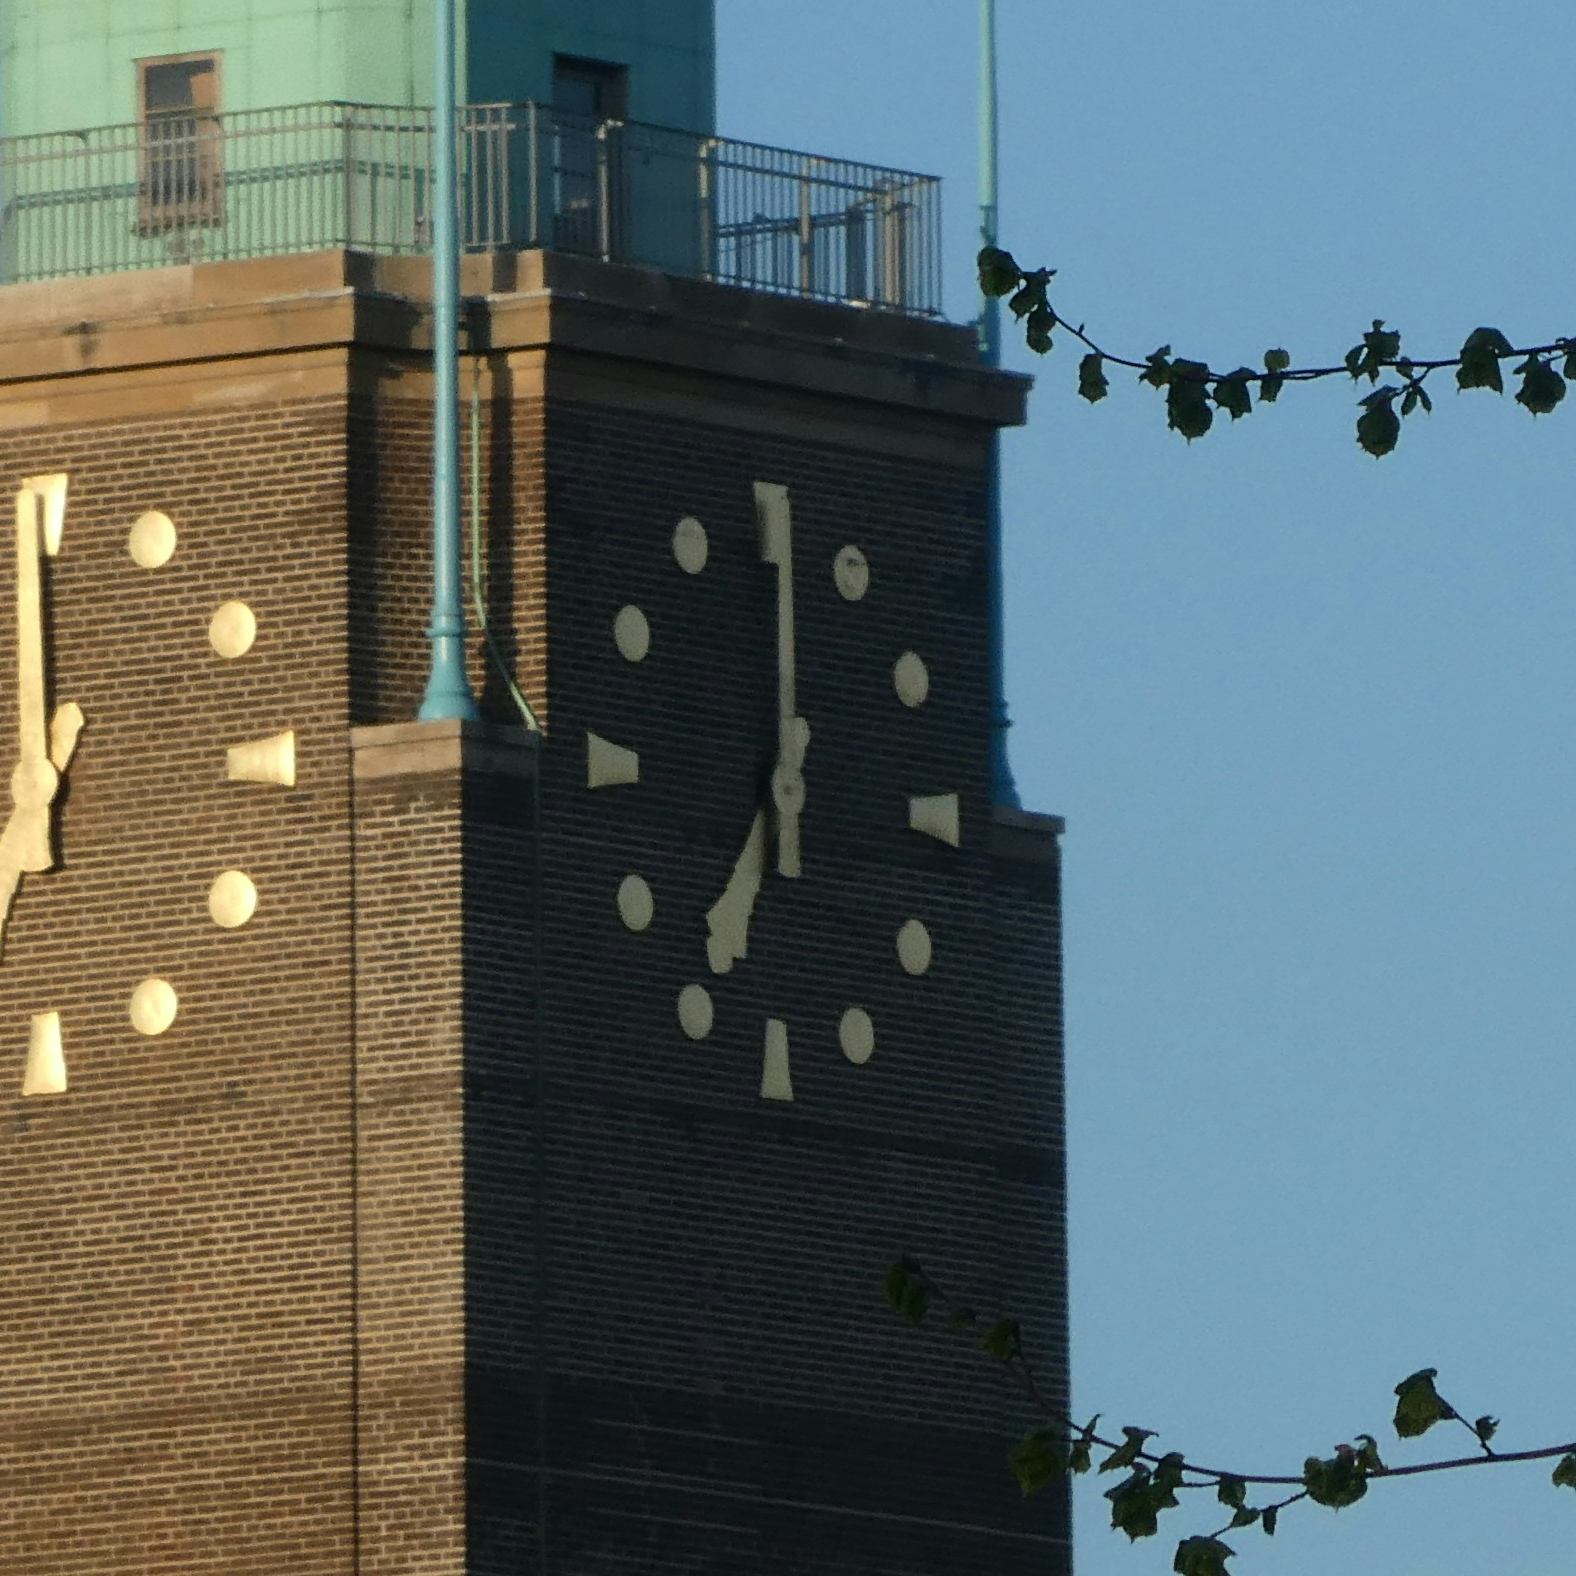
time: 7:00
